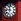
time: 11:46
